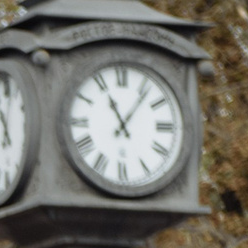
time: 11:06
